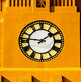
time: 1:46
